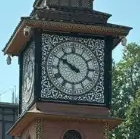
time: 9:50
